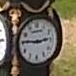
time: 2:46
